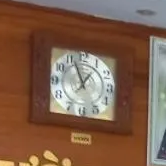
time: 12:56
